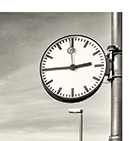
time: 2:45
